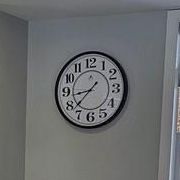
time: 8:37
